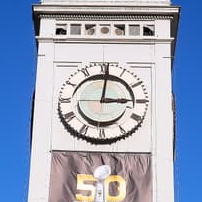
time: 3:01
